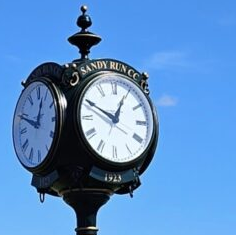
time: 12:49
